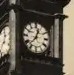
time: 12:37
